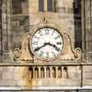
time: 3:40
